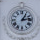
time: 1:13
